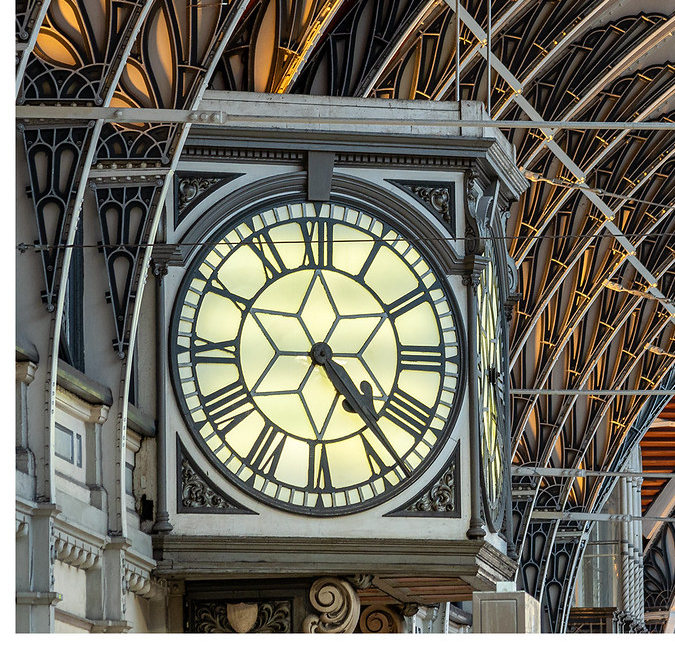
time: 4:22
